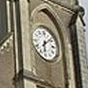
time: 6:08
